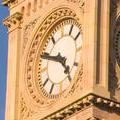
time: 4:49
